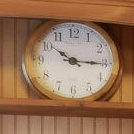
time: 10:15
